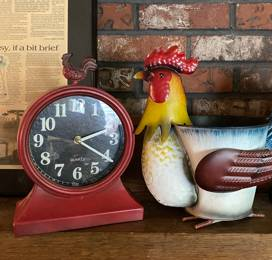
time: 2:20
